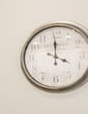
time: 3:59
